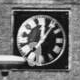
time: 12:06
